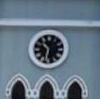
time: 10:32
